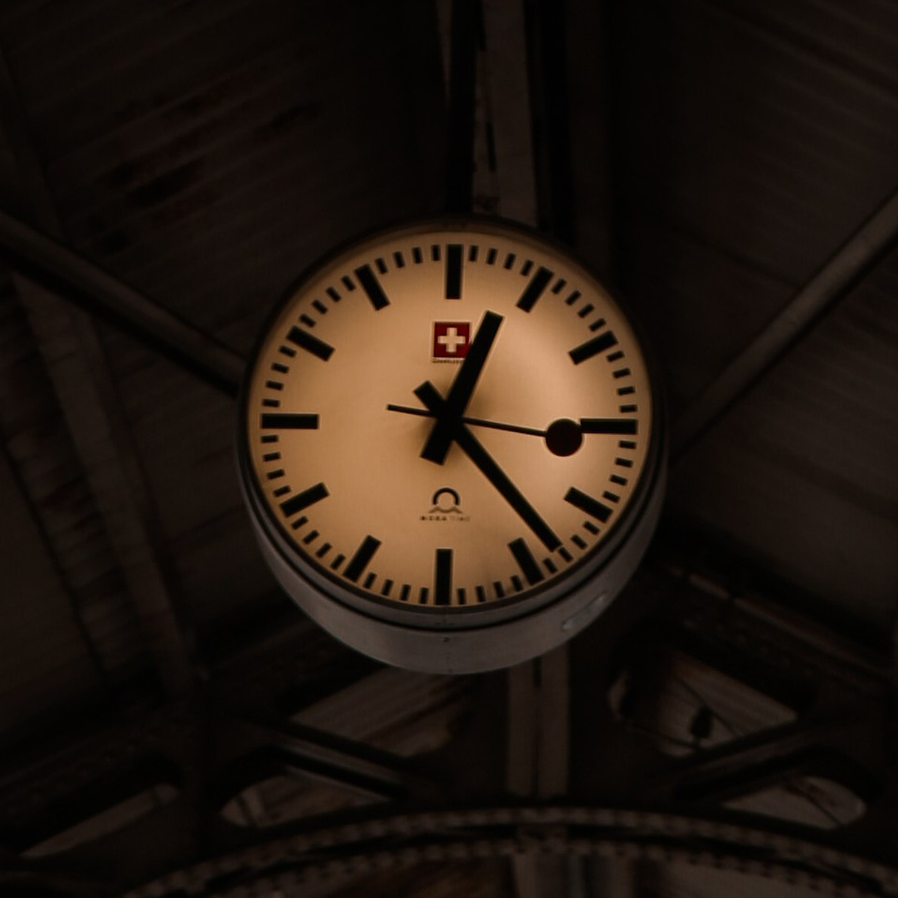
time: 12:23
